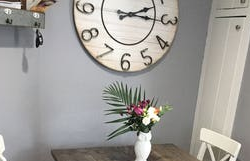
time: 2:15
